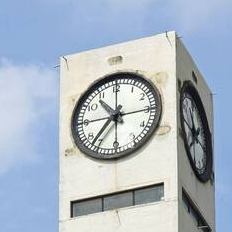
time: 10:37
